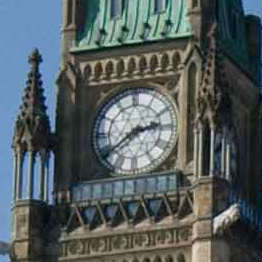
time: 2:39
